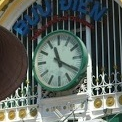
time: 11:19
